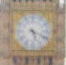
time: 5:18
